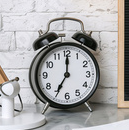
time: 7:00
